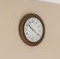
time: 10:20
